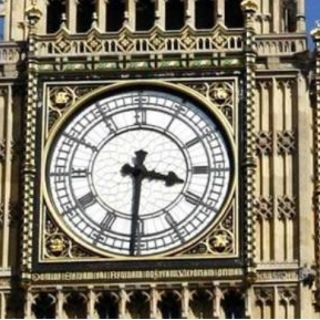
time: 3:30
